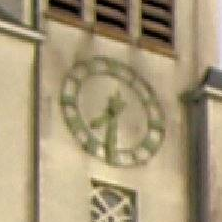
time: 7:31
